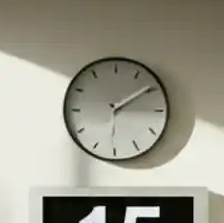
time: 2:09
